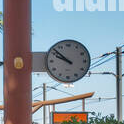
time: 9:51
